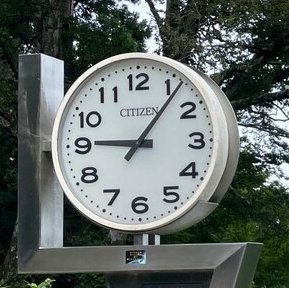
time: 9:06
